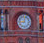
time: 9:01
